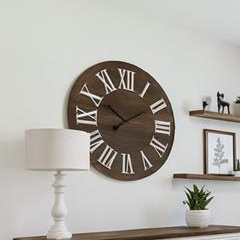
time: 10:09
